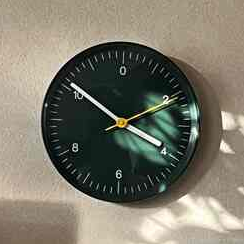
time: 3:51
